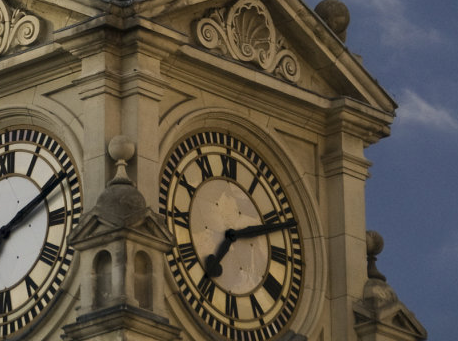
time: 7:11
